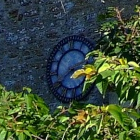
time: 2:40
